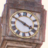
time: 3:49
